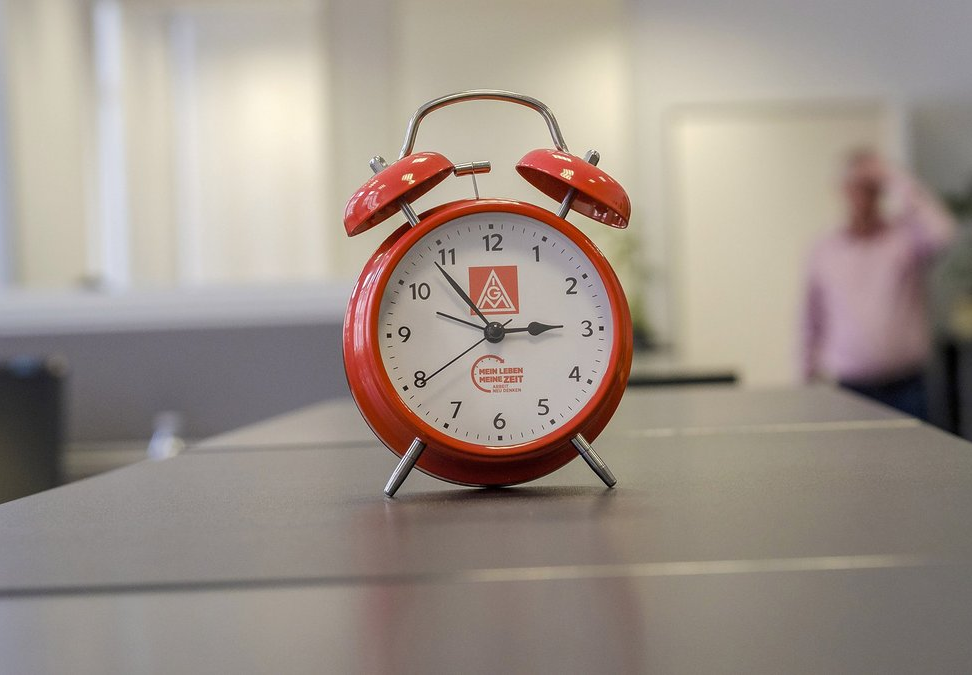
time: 2:53
